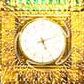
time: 5:11
